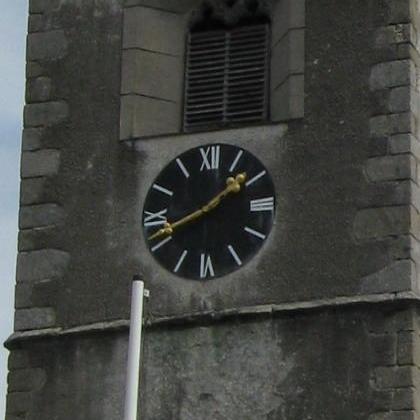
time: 1:41
